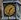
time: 1:33
